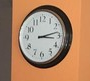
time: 3:13
